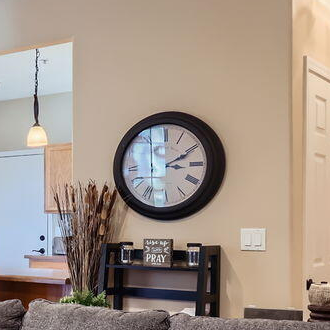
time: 3:10
